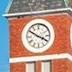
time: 3:50
